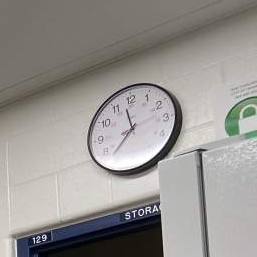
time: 11:36
